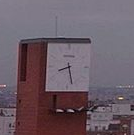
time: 8:27
